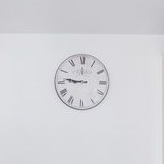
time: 8:46
